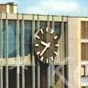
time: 9:38
